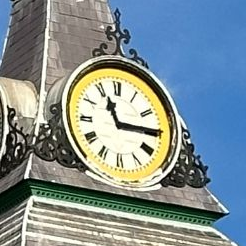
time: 11:14
